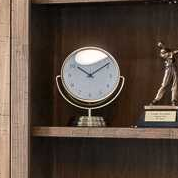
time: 10:09
